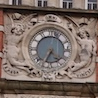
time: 4:34
